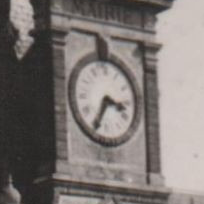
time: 3:34
